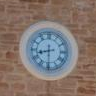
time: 8:30
